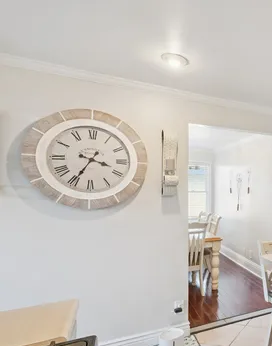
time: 3:34
